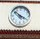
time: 3:52
